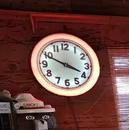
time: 3:49
